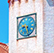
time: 9:27
